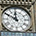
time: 11:50
